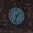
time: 1:33
